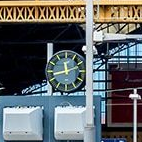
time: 11:42
